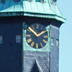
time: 1:51
